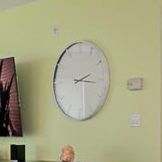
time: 2:16
